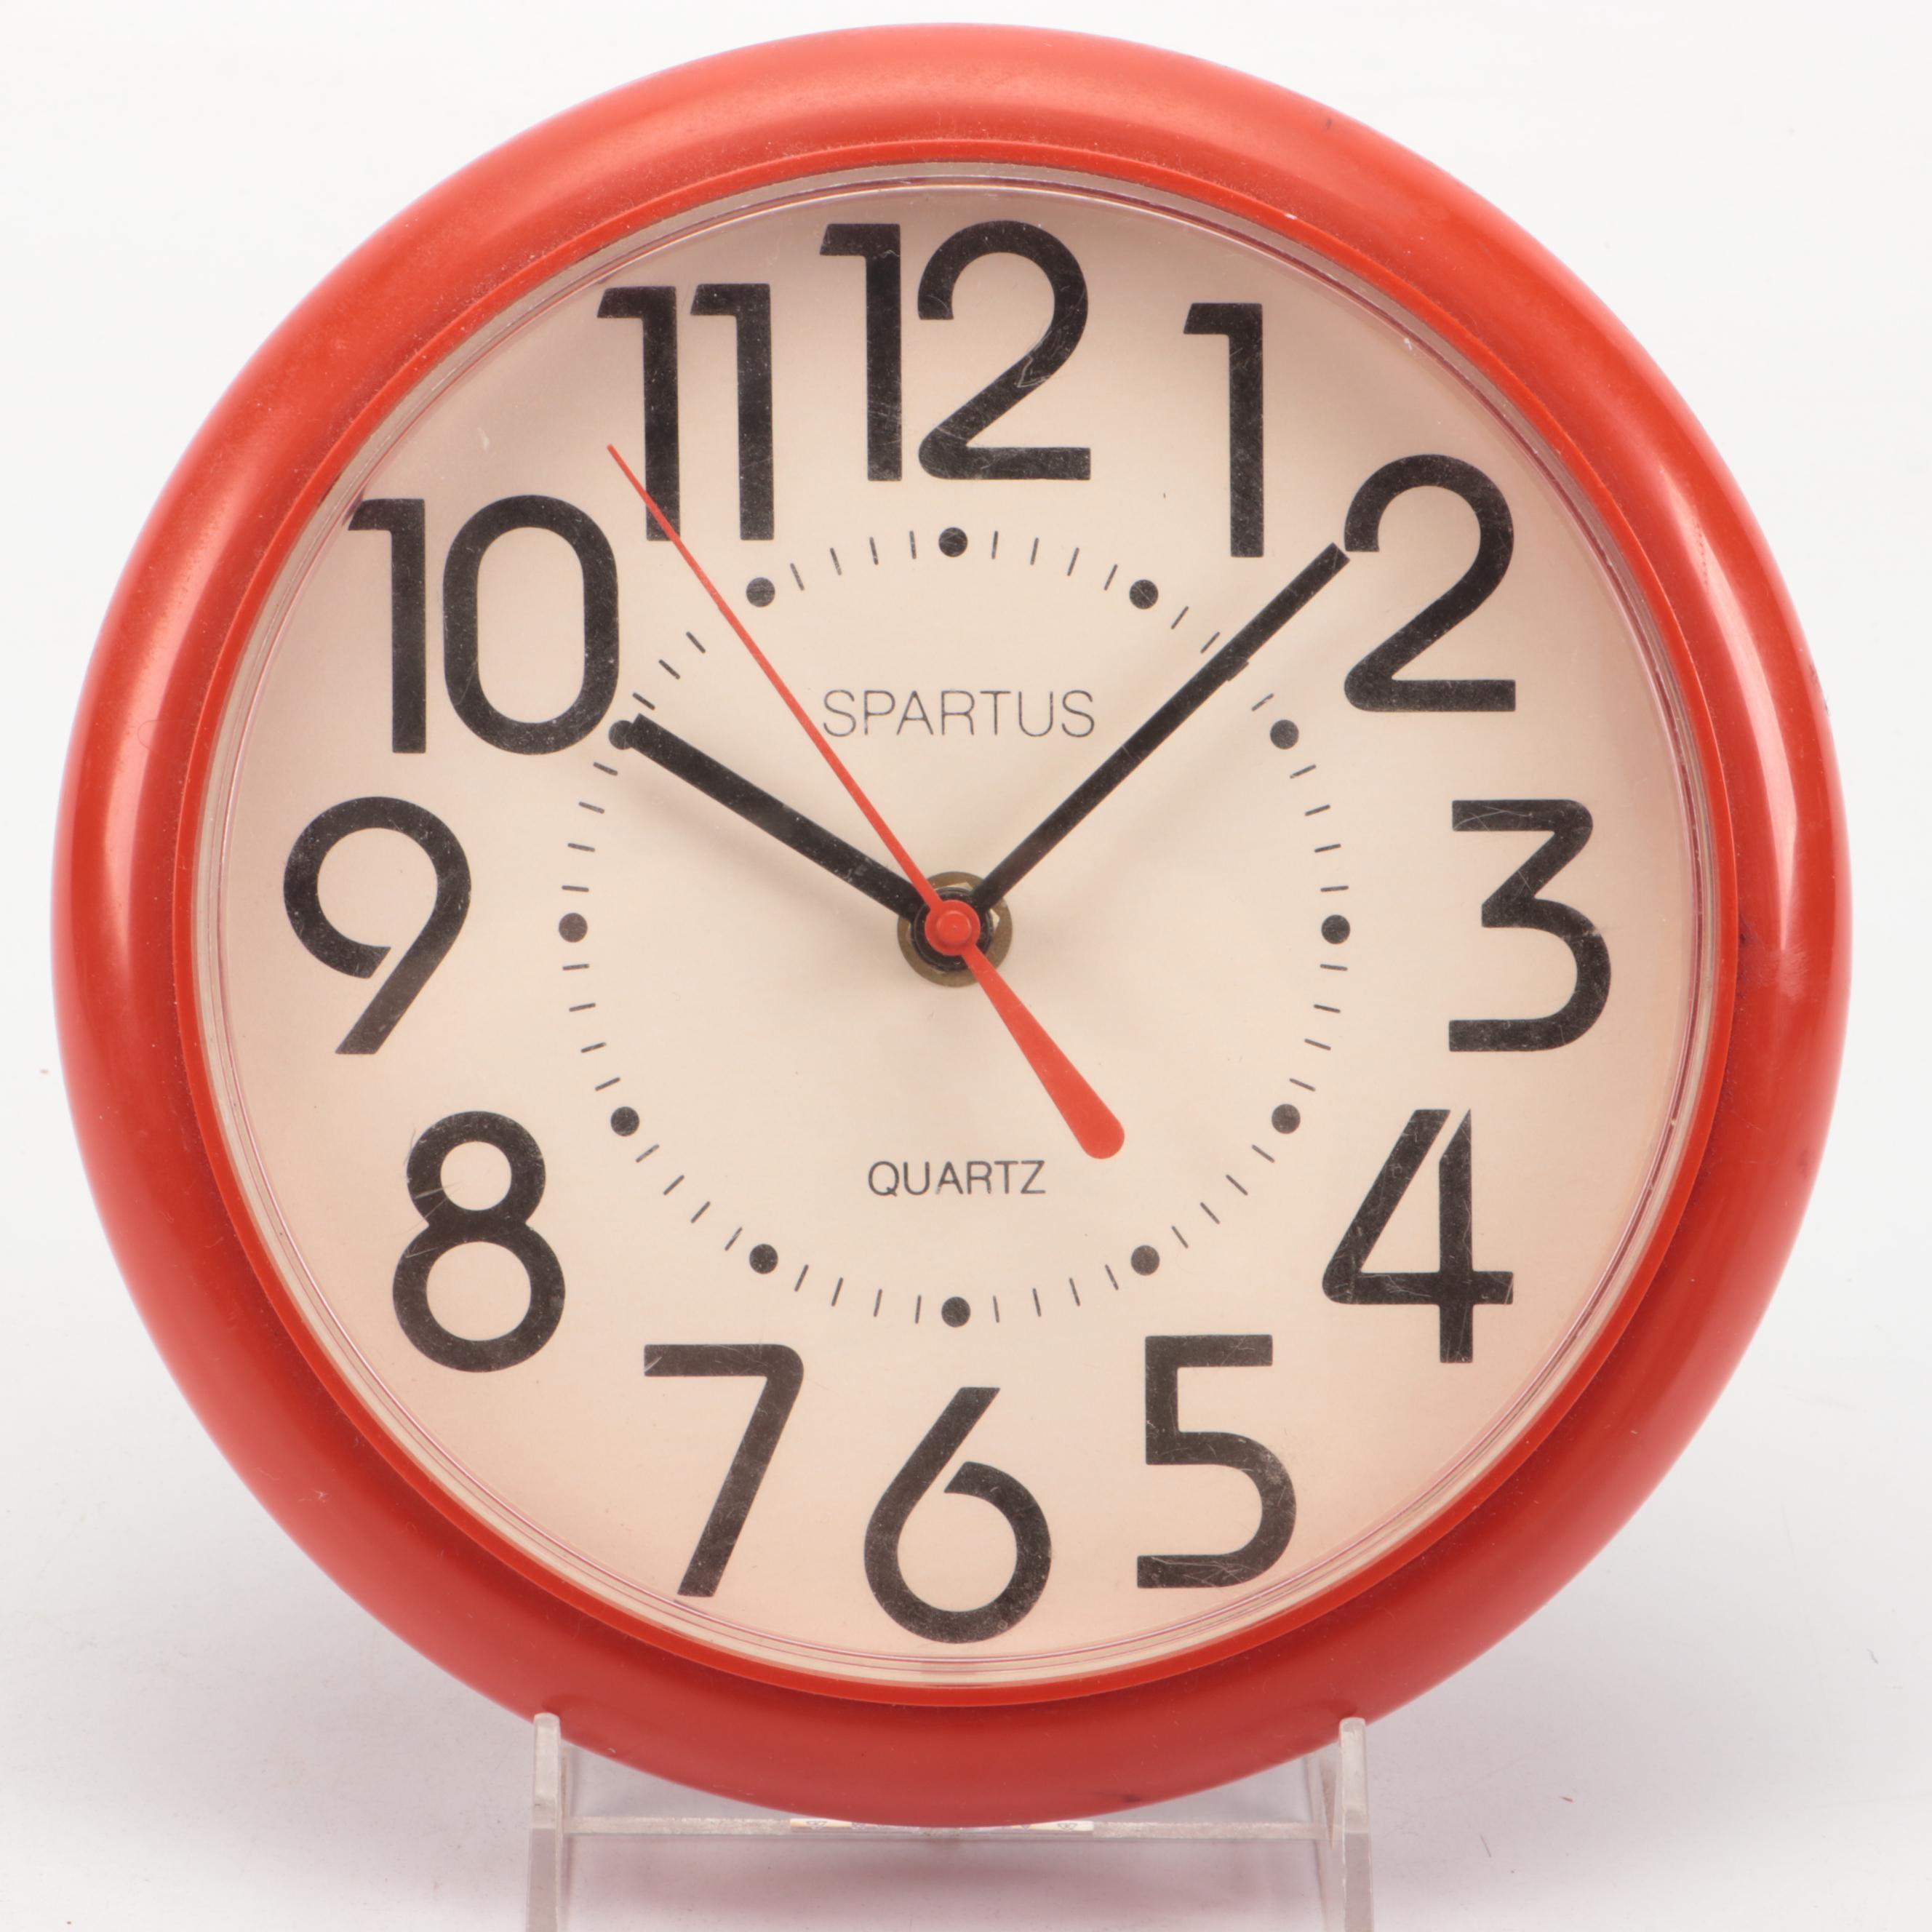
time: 10:07
